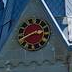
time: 2:40
